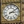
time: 3:09
